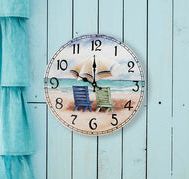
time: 9:59
